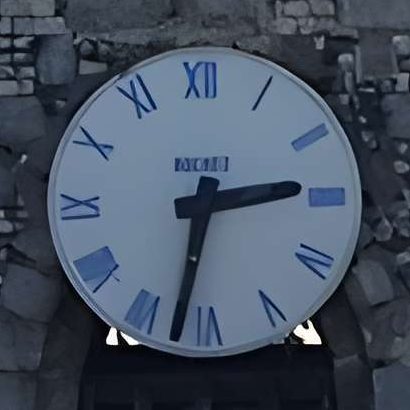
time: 2:32
